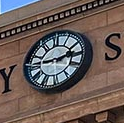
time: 9:13
